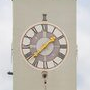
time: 1:37
